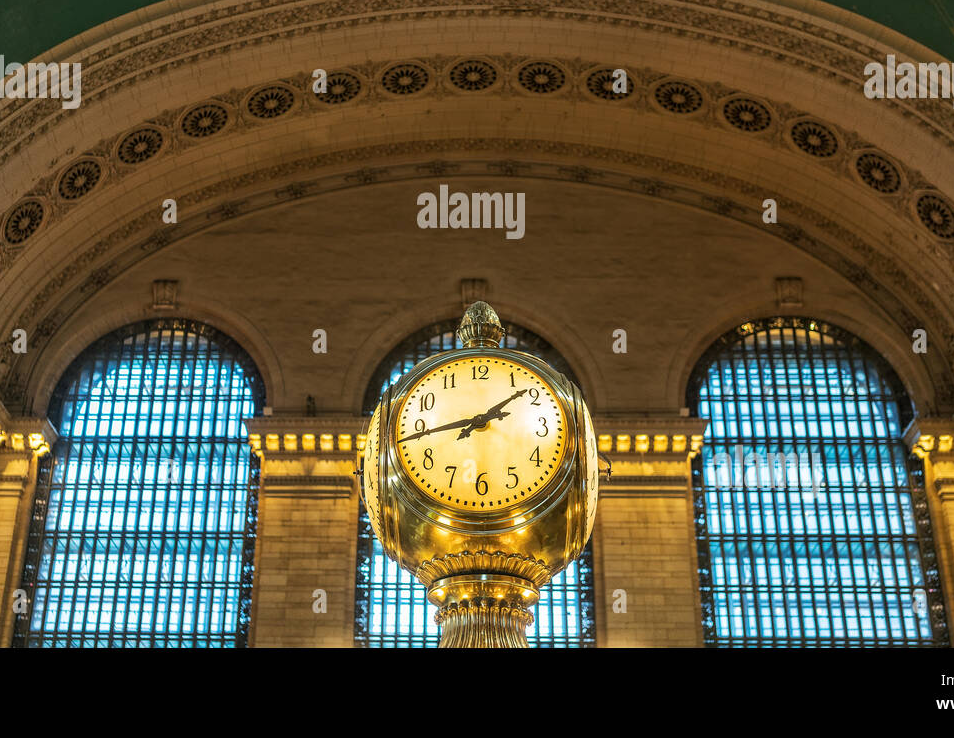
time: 1:43
